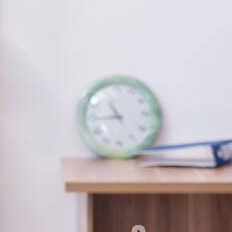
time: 10:44
